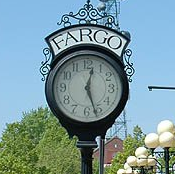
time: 12:26
